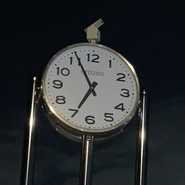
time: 6:55
